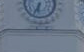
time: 6:34
